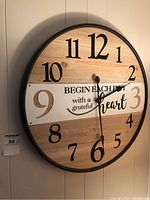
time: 2:28
